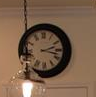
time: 2:17
